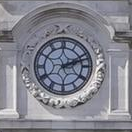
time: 2:11
